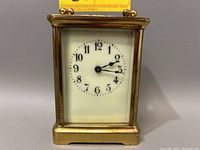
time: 2:16
